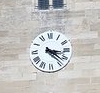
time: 3:21
